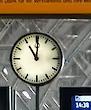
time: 11:00
